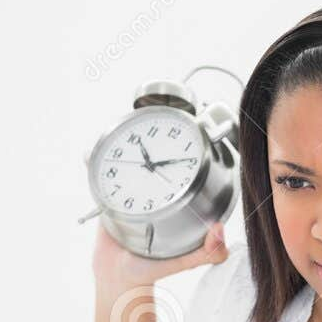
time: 11:14
